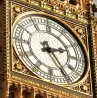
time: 2:24
